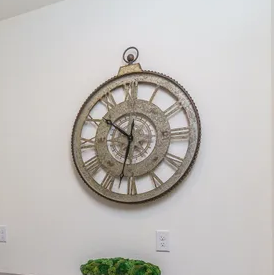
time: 10:32
